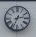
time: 2:33
